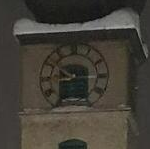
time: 10:14
